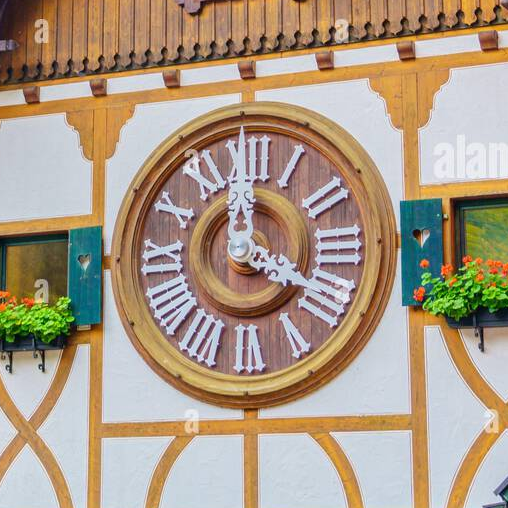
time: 3:58
